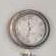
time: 11:32
